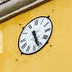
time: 5:26
